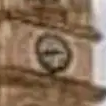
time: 2:42
